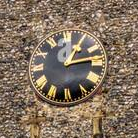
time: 1:13
